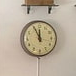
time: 11:55
